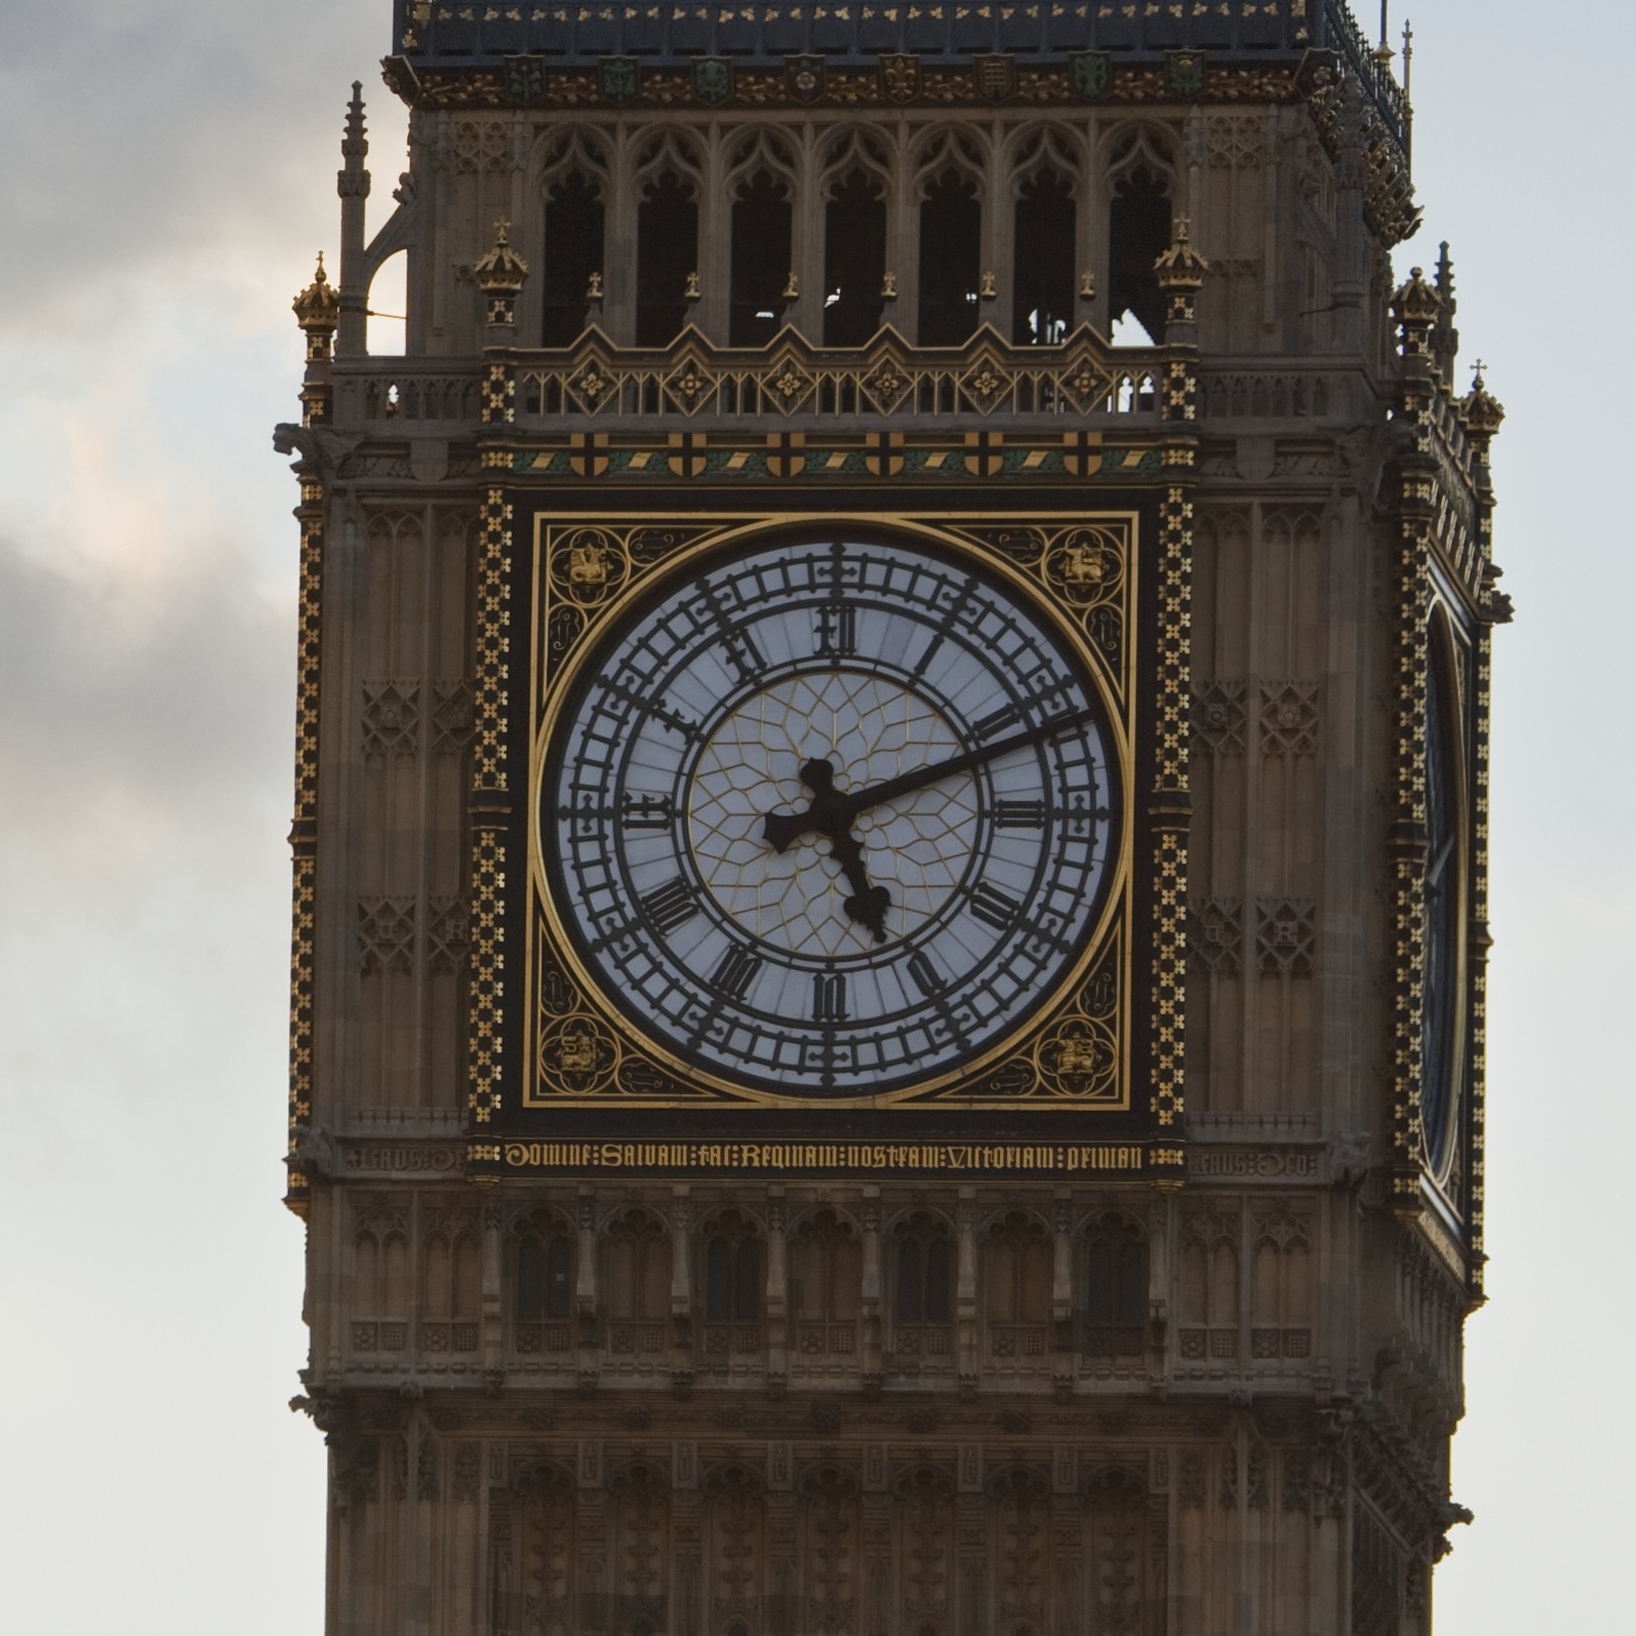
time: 5:11
